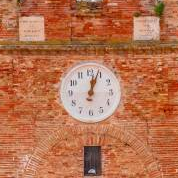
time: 12:03
